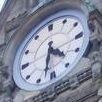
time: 4:32
